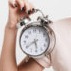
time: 5:40
